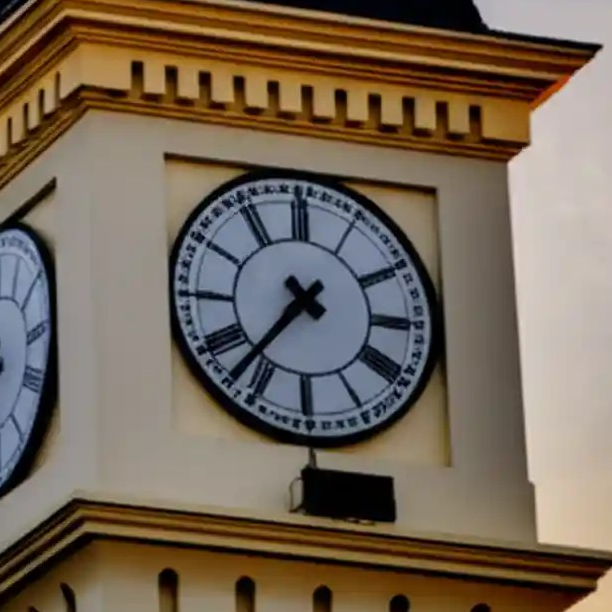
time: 7:36
